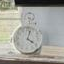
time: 4:02
